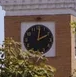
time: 2:00
